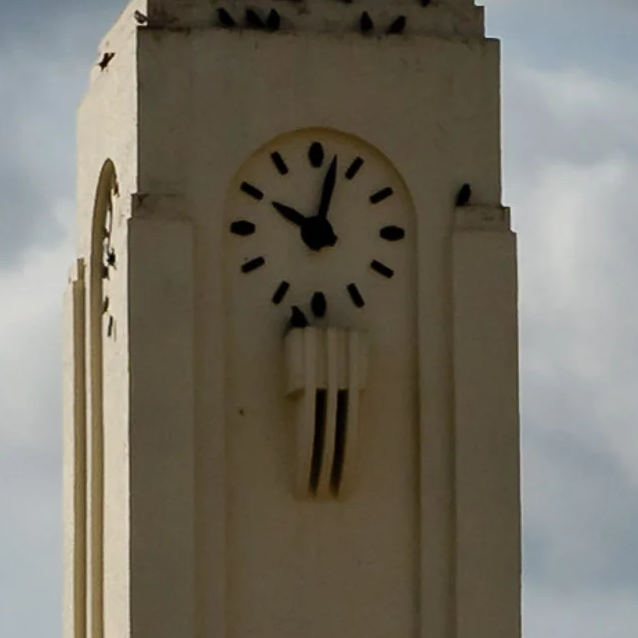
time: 10:02
